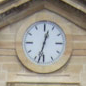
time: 12:32
